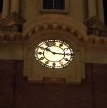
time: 10:15
